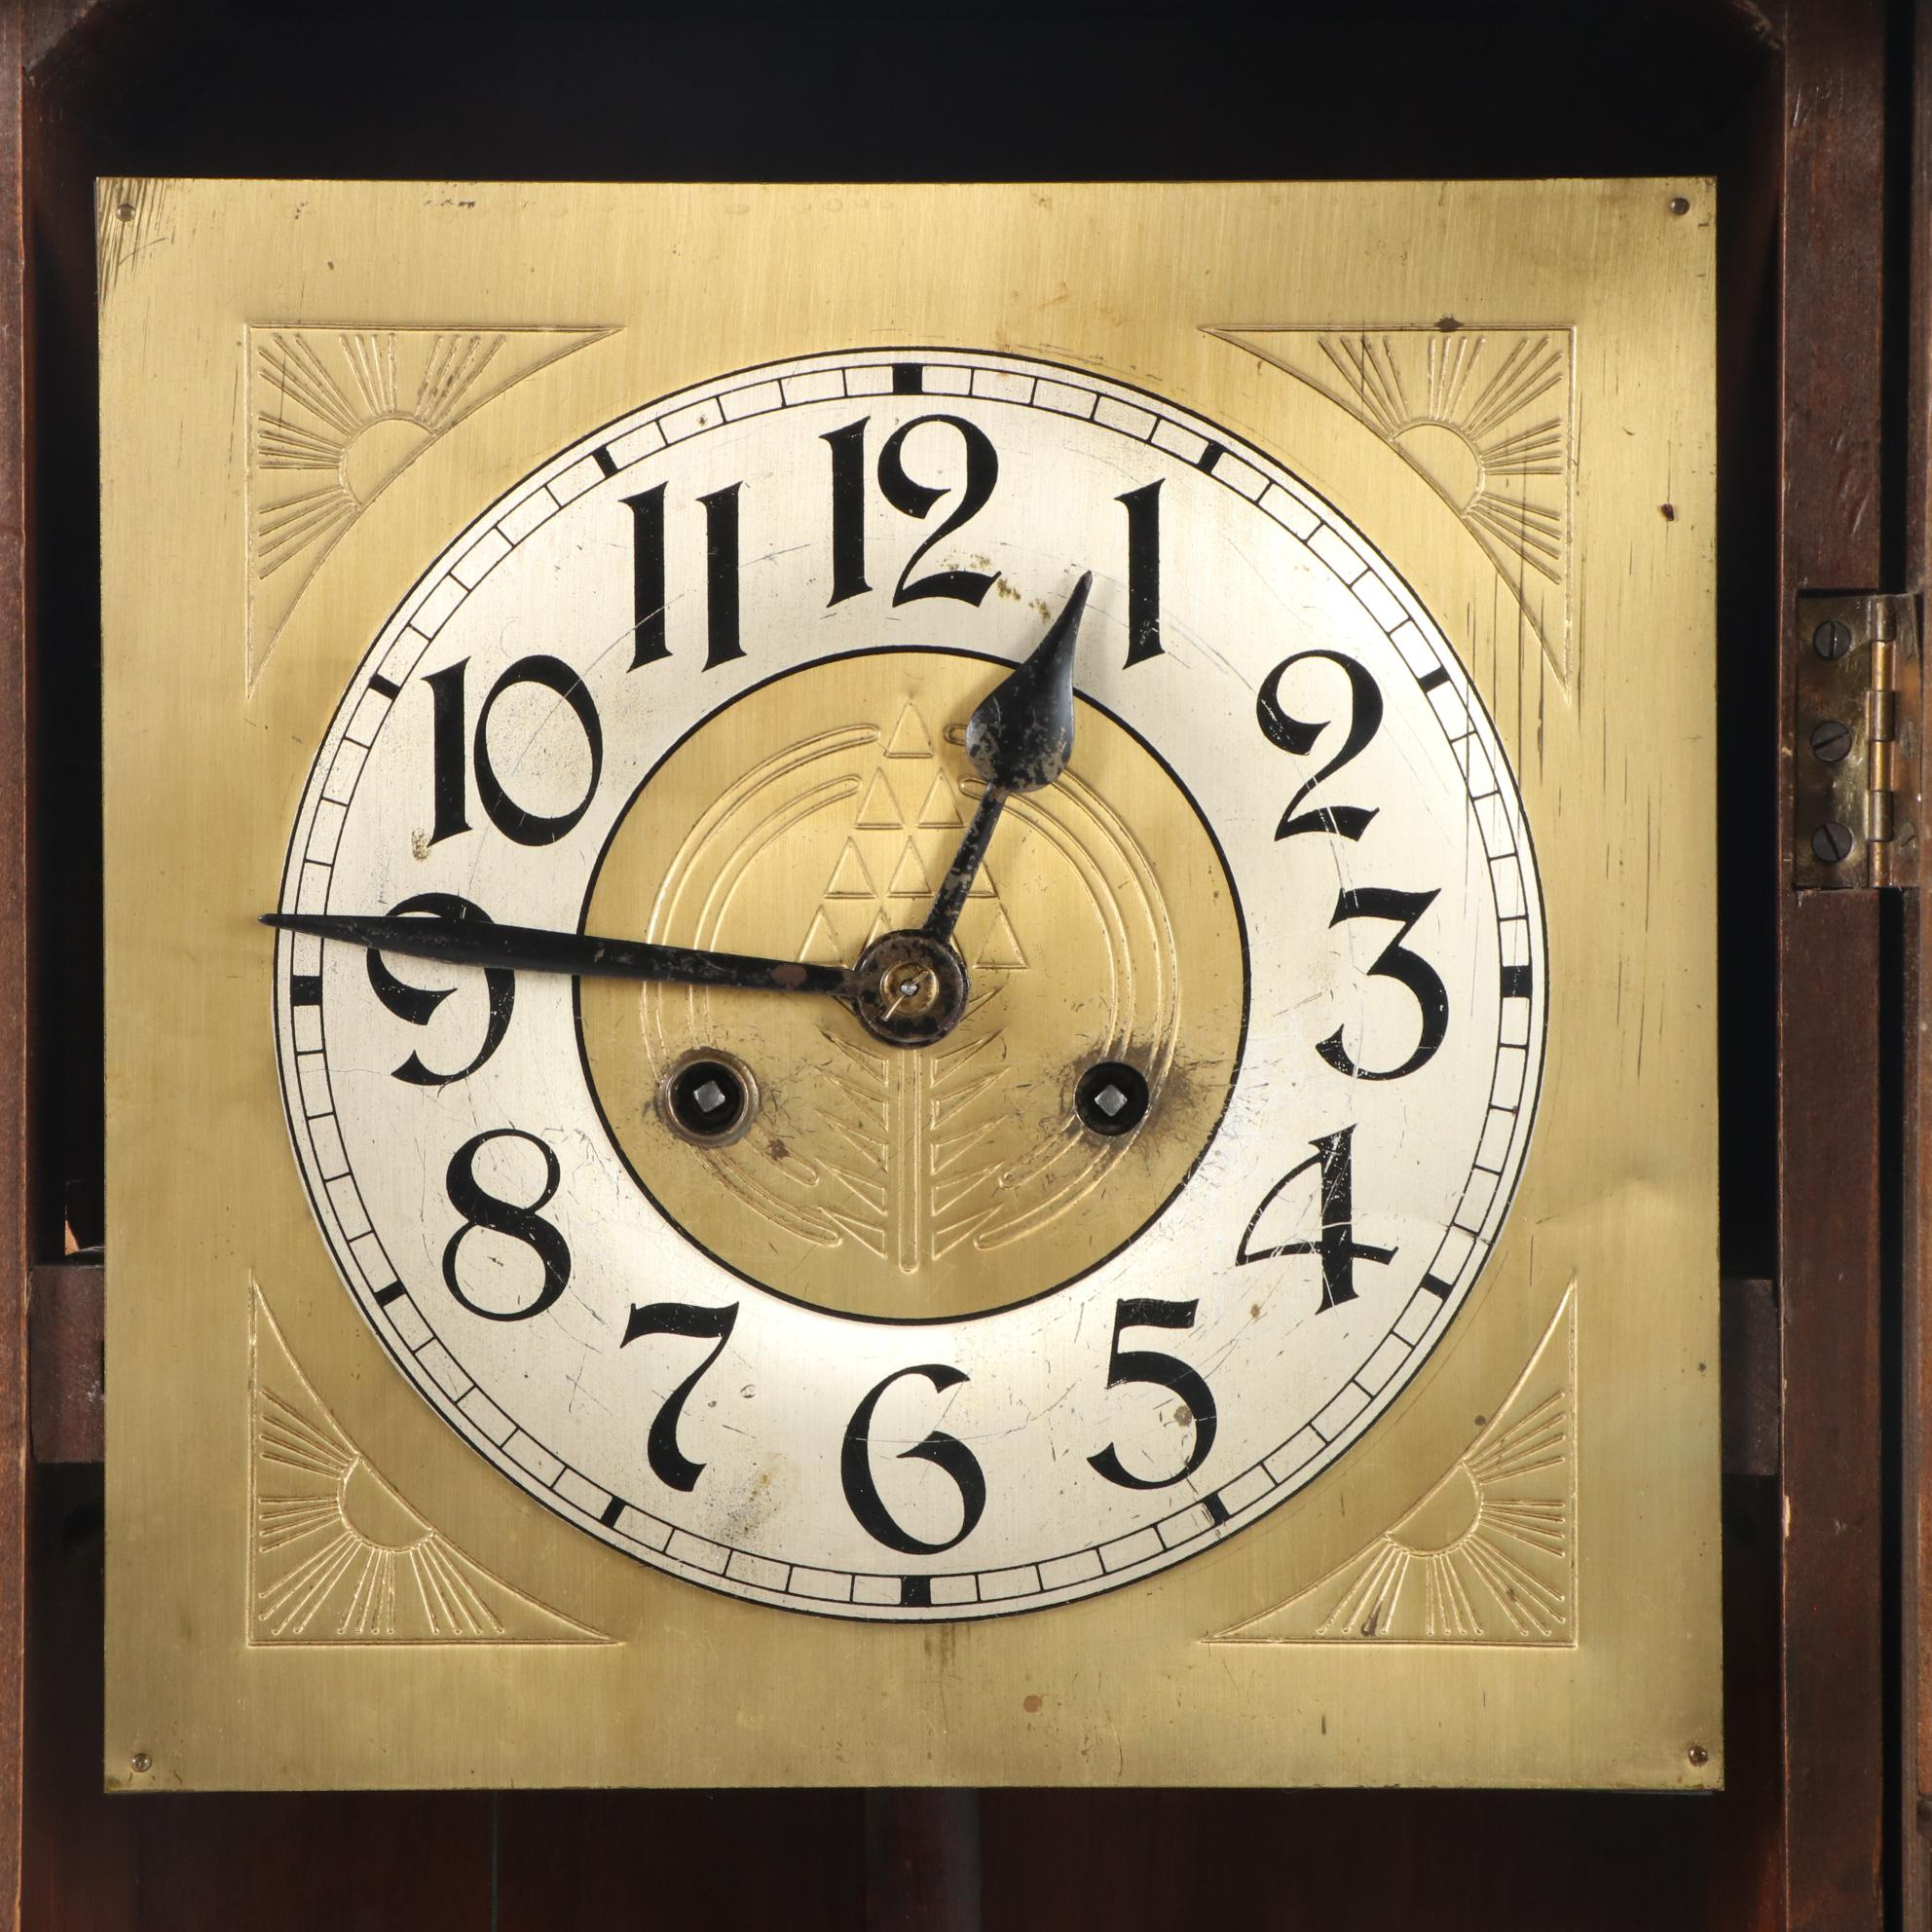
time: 12:46
